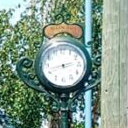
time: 2:42
